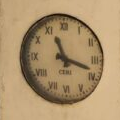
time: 11:18
